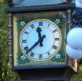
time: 11:37
